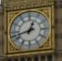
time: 12:42
